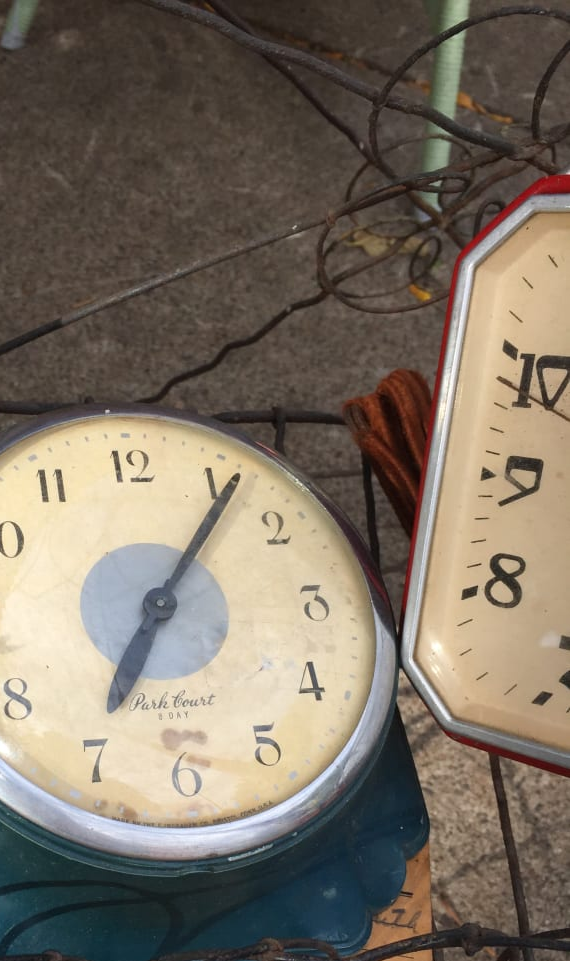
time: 7:07
